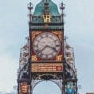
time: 3:38
